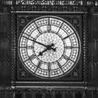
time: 7:48
